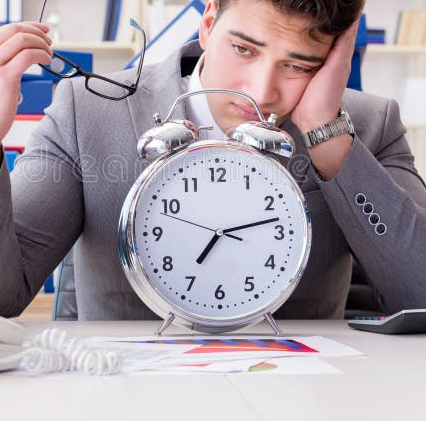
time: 7:13
